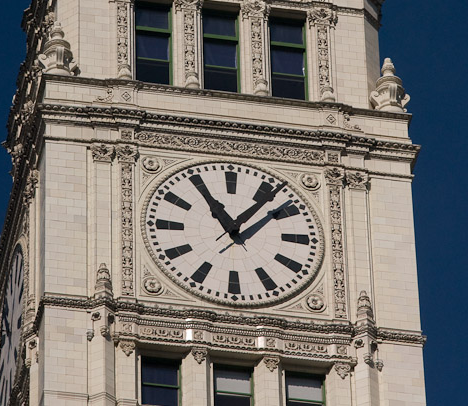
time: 11:06
